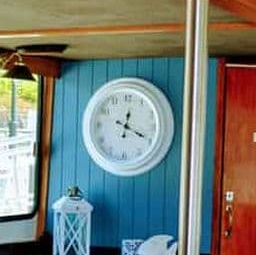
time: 12:19
